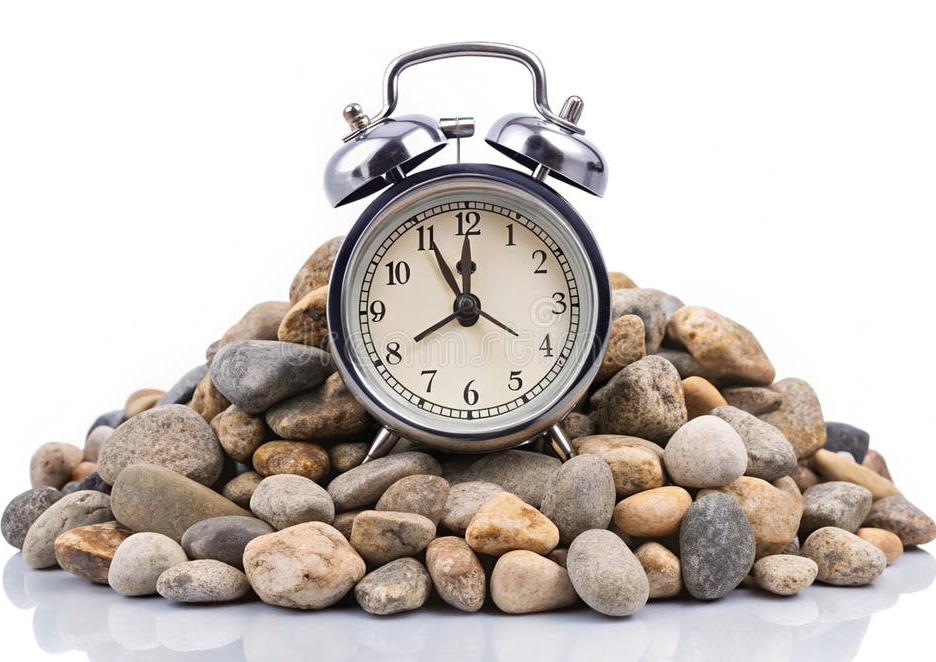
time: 11:55
